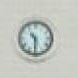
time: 10:30
